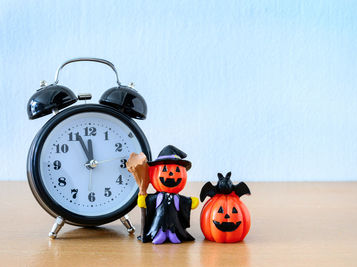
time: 11:56
